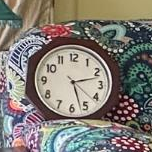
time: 2:27
